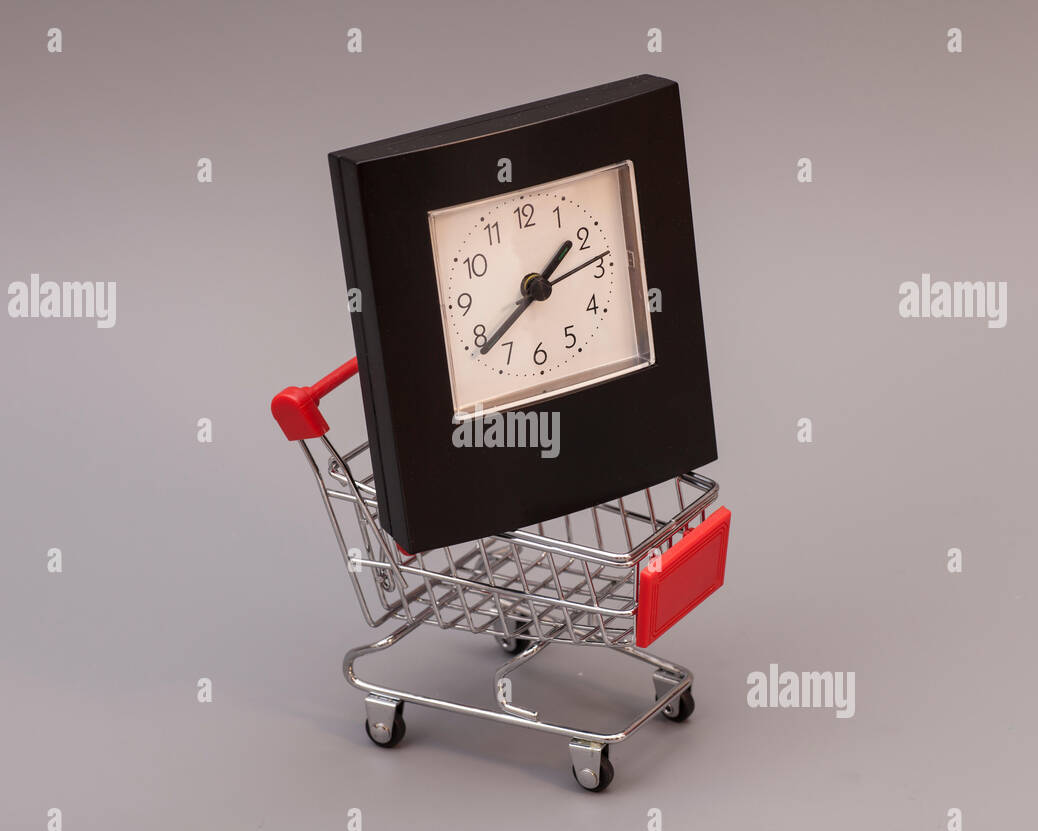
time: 1:39
